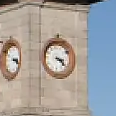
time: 3:21
